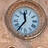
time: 11:36
